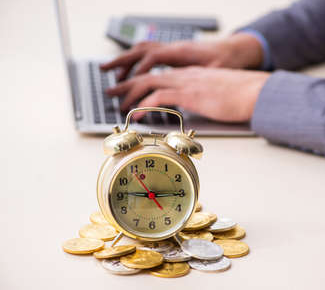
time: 9:15
